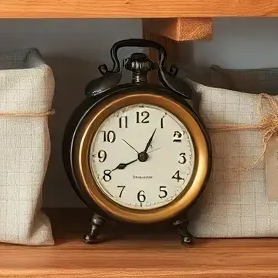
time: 8:04
